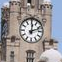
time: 12:11
